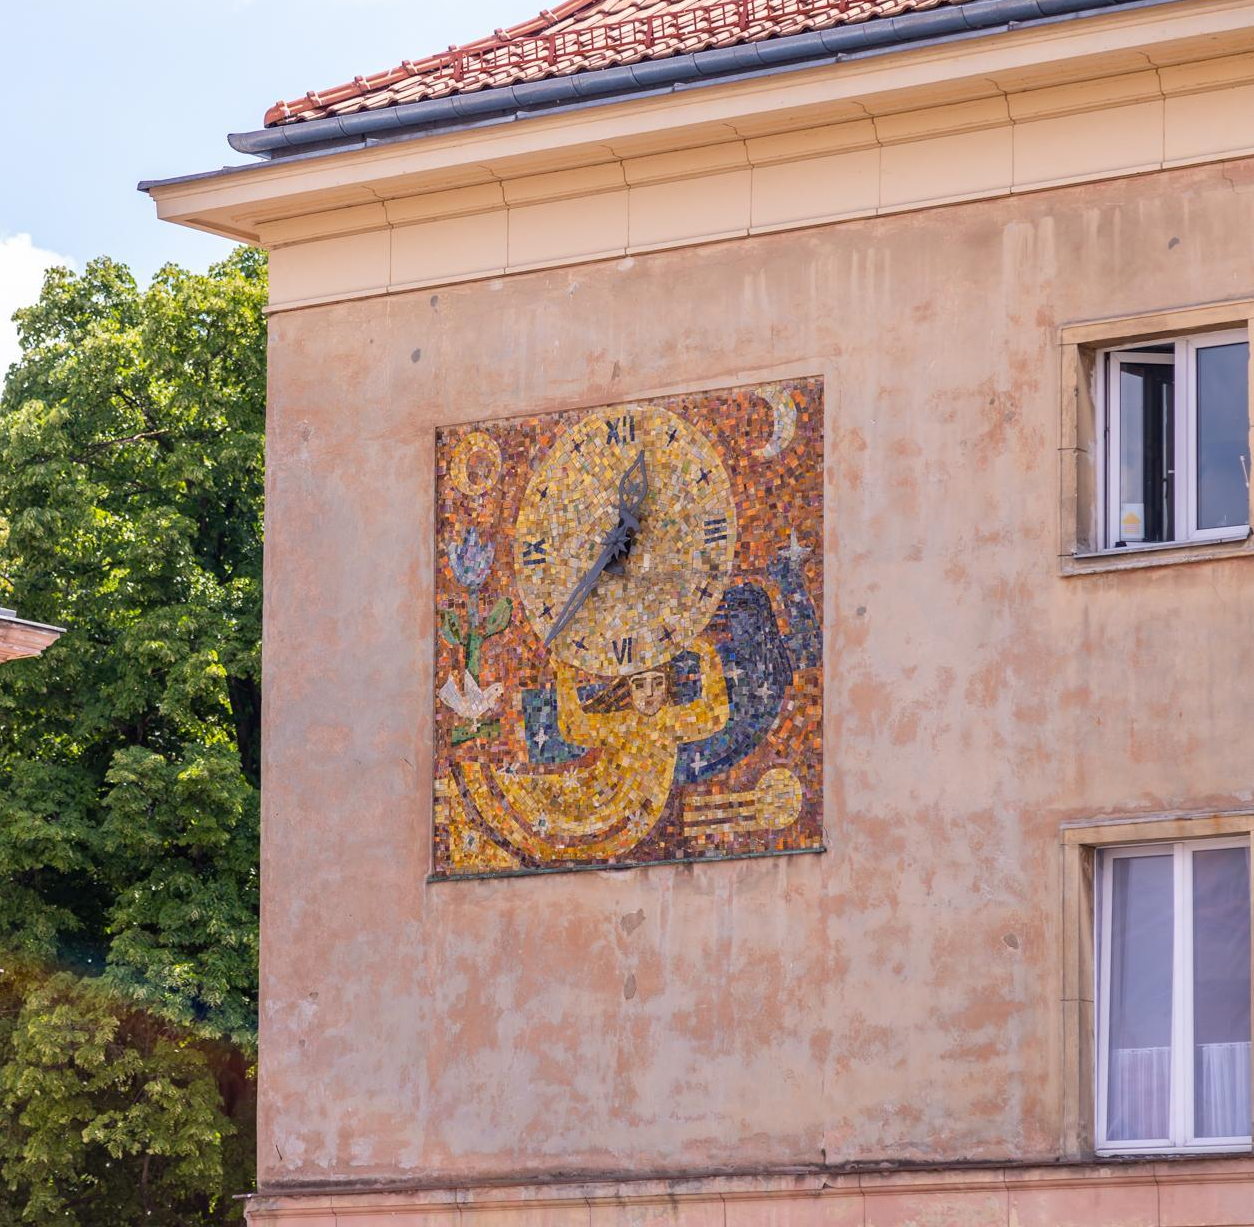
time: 12:37
